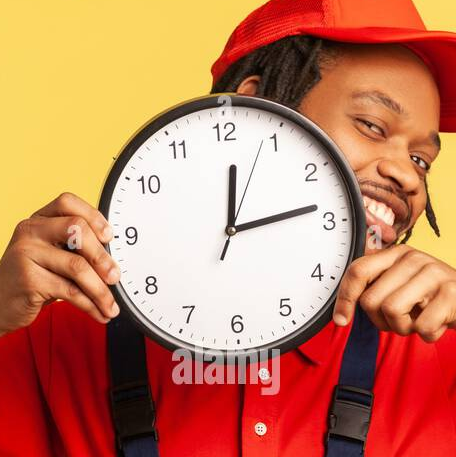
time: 12:13
